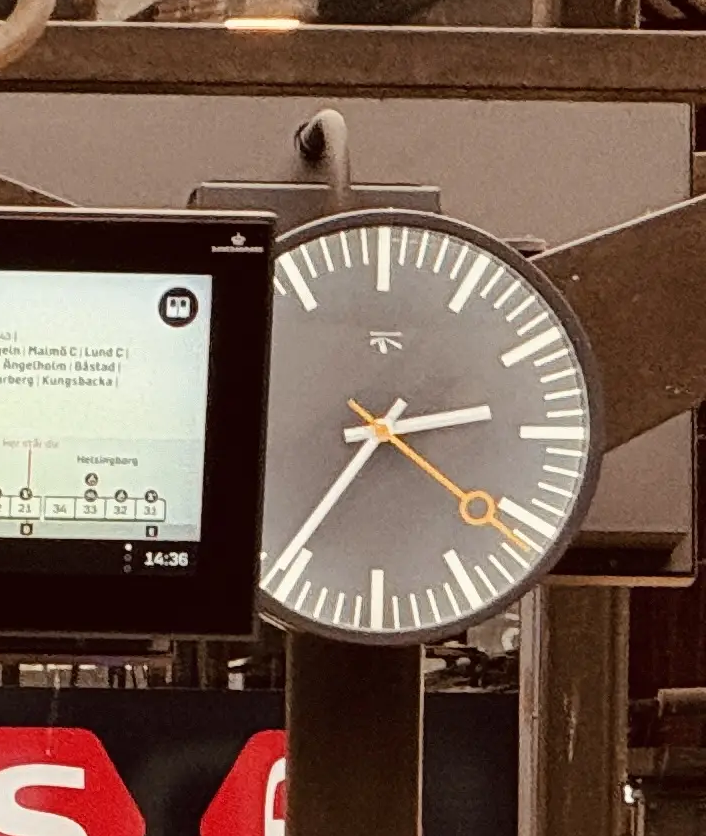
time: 2:36
